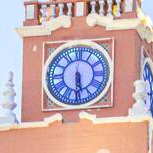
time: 5:29
